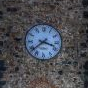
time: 3:38
